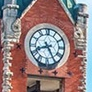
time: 8:25
